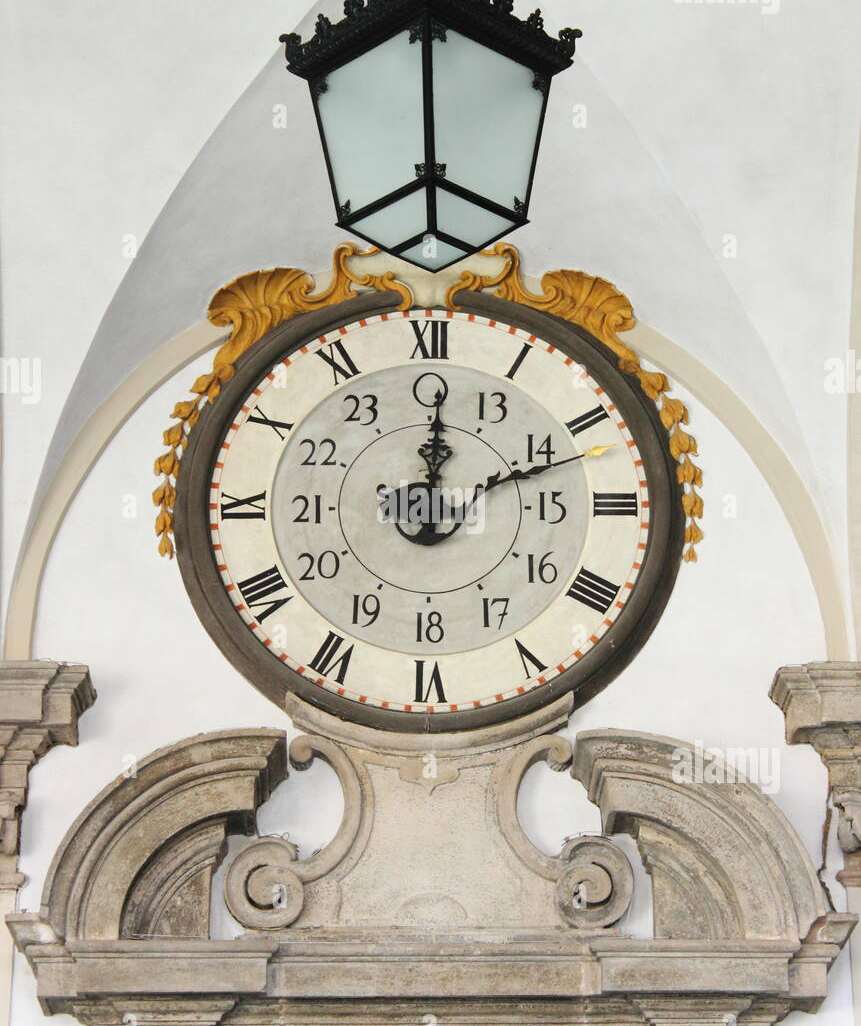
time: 12:11
